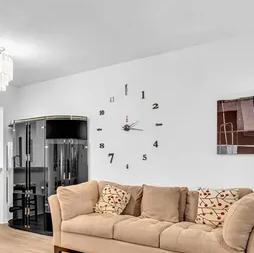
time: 2:16
